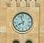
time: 7:57
